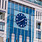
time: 1:40
